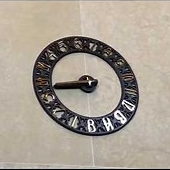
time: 8:43
